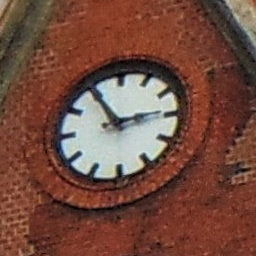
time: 2:54
